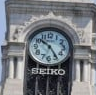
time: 10:24
